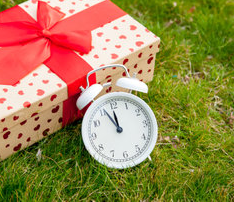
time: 11:55
